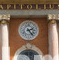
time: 2:23
